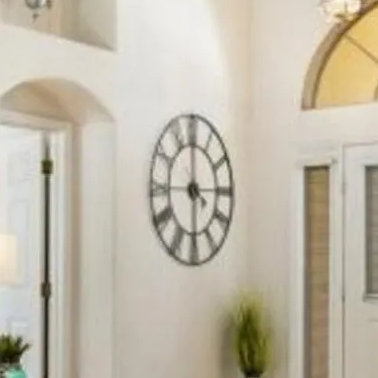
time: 5:59
